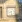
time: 8:27
